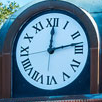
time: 12:12
